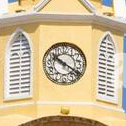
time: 10:20
